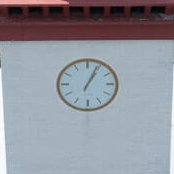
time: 1:04
